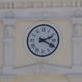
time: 2:19
